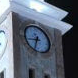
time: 8:33
